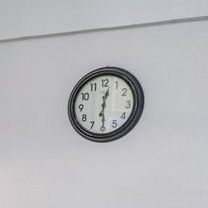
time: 12:29
